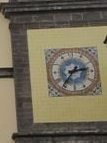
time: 2:36
